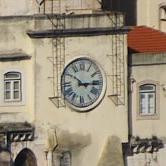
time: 10:14
